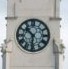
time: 10:30
